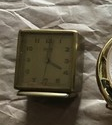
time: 4:01
